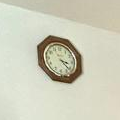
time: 3:22
